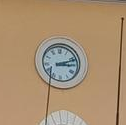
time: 3:12
